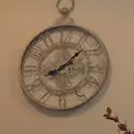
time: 8:07
